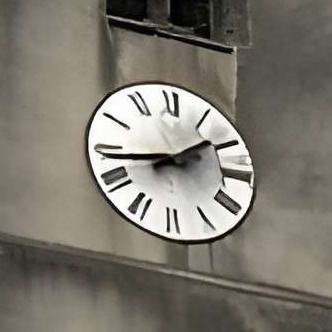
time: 1:43
